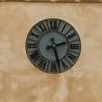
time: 2:27
